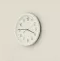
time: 3:45
